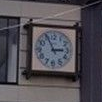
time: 2:55
